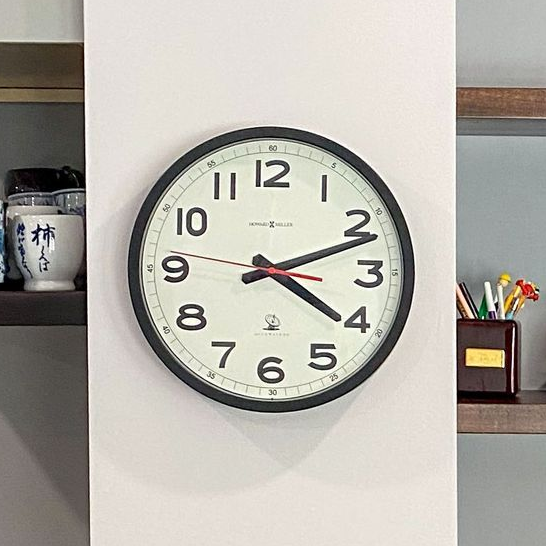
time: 4:11
